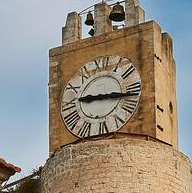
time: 9:16
